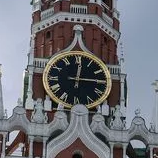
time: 12:14
